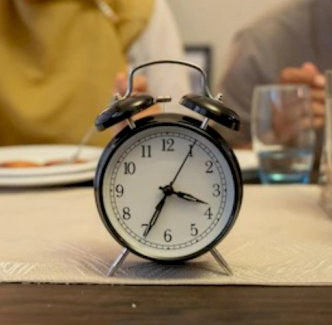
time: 3:34
